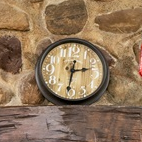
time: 2:31
